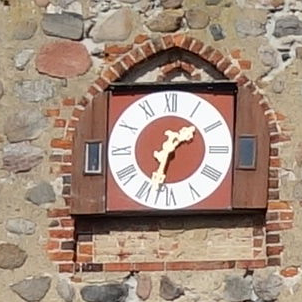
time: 1:32
